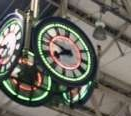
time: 7:47
